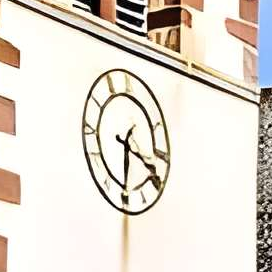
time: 6:18
